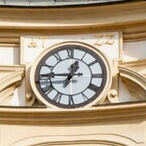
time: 12:45
